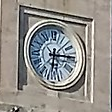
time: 6:14
